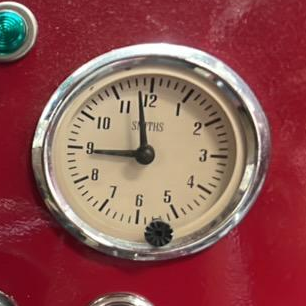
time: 8:58
